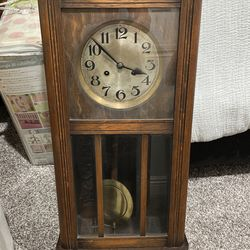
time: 3:52
